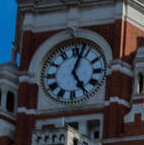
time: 5:02
